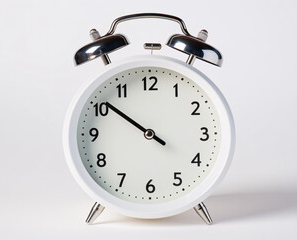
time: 9:50
